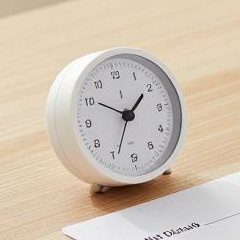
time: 1:50
